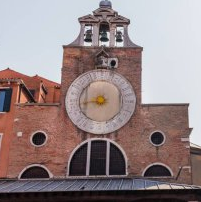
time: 8:43
